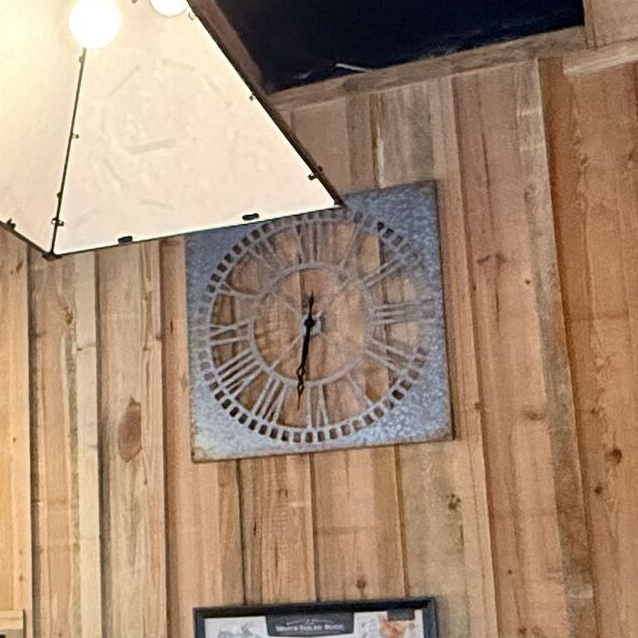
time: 6:32
